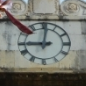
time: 9:01
